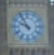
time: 9:54
